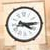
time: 4:14
